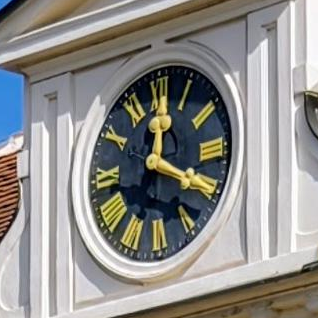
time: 12:19
